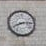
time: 8:14
